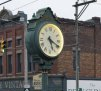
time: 5:19
